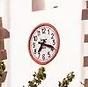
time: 7:18
